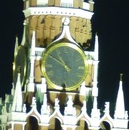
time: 10:50
